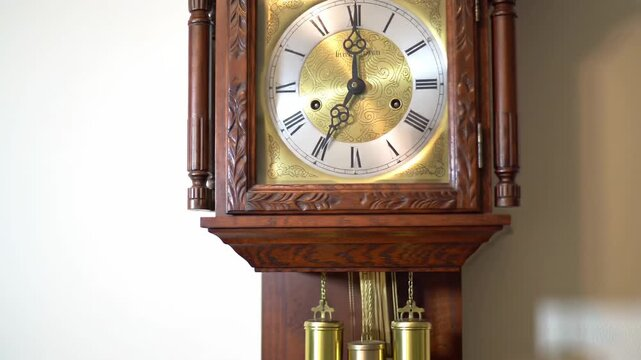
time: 7:00
